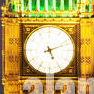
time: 5:11
